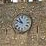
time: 10:48
